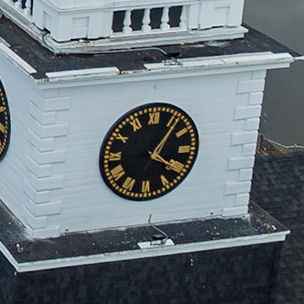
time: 4:06
